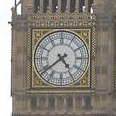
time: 4:38
